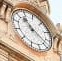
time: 11:22
